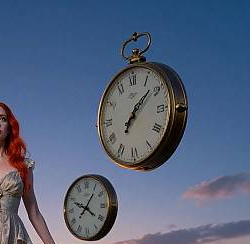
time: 1:07
